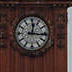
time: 12:15
